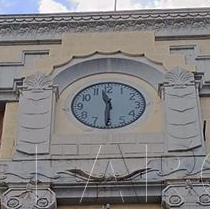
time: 11:30
